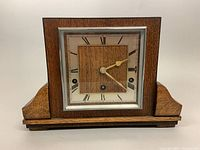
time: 2:21
